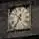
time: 12:34
